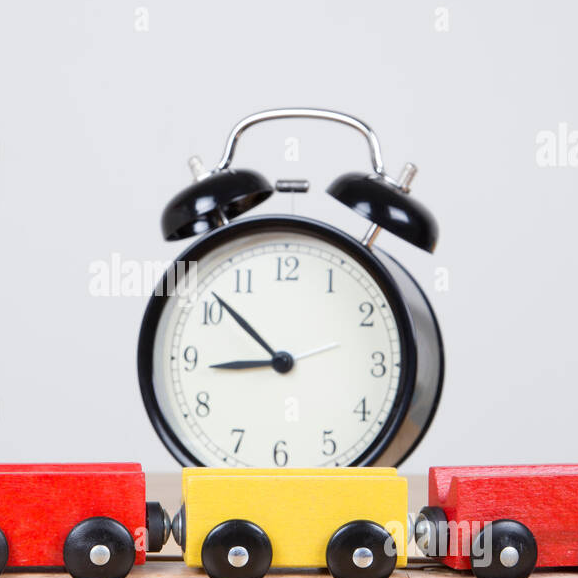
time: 8:52
